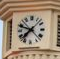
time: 7:48
